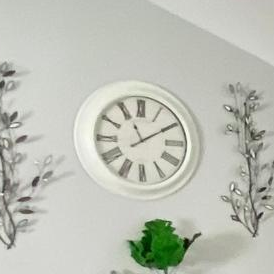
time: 11:09
